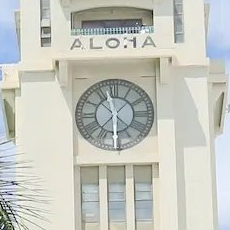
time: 11:29
